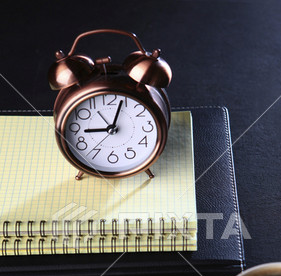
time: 9:04
